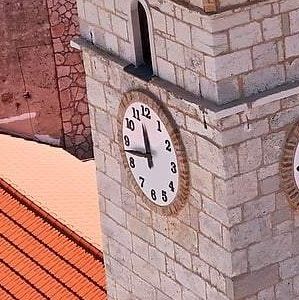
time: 11:42
